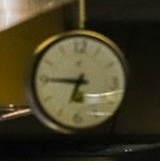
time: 6:45
